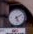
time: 5:09
